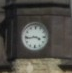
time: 3:44
